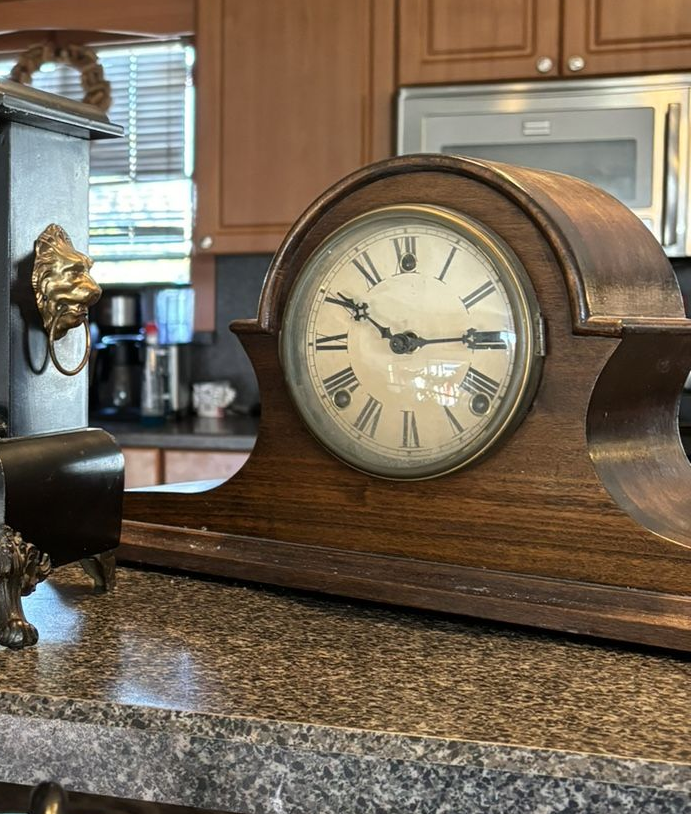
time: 10:14
